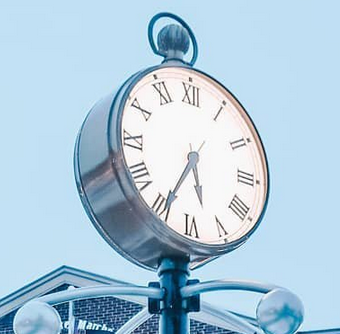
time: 5:34
